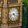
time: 4:42
